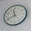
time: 11:40
